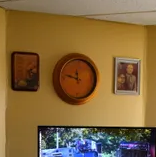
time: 11:47
